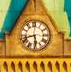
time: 5:42
